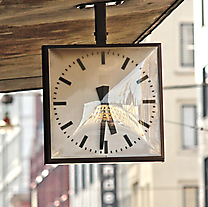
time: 5:31
